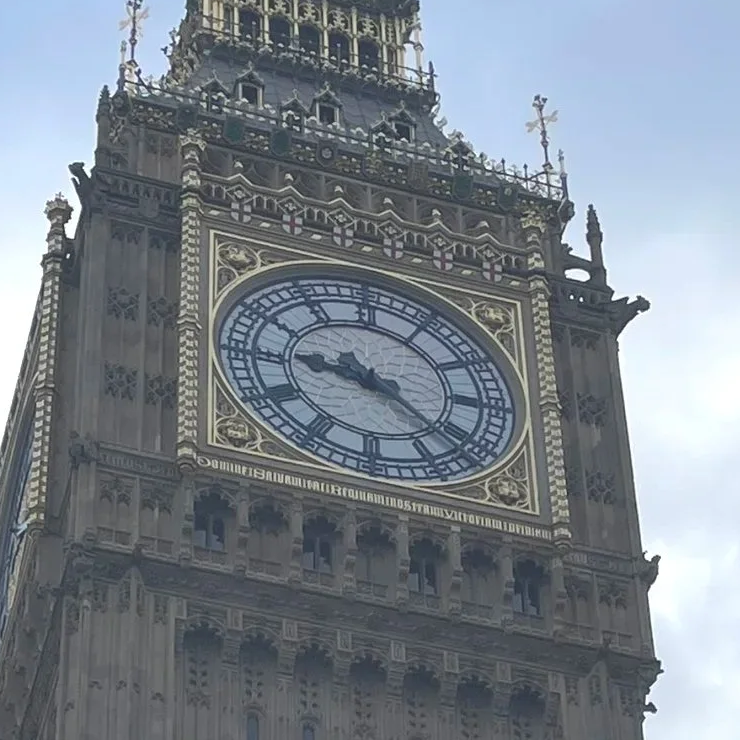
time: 9:22
